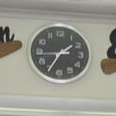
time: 1:34
